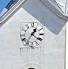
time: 1:20
